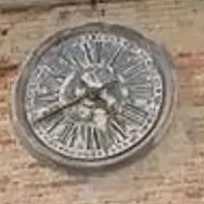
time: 4:40
